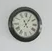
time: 11:05
